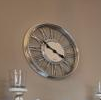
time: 3:51
